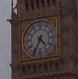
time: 4:34
